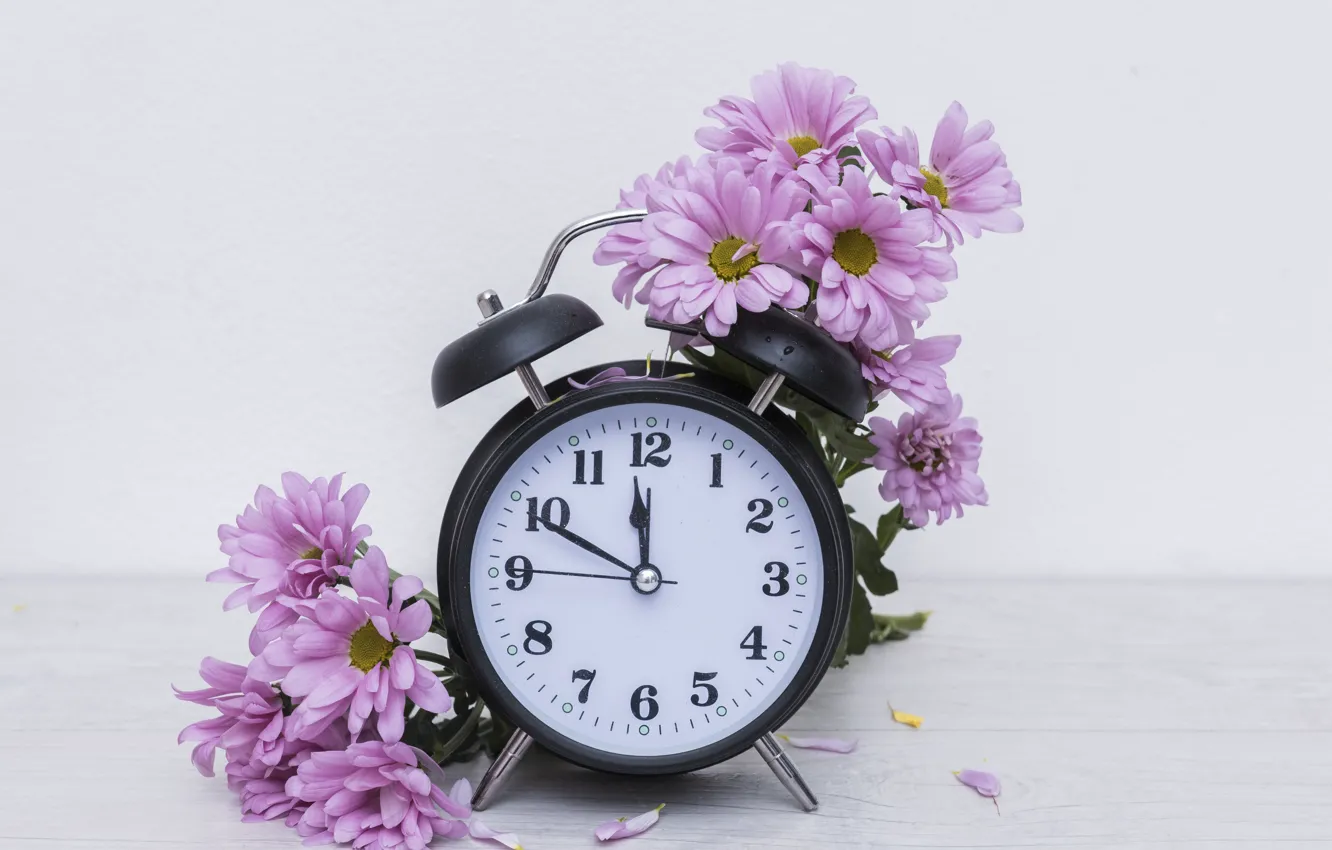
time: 11:49
